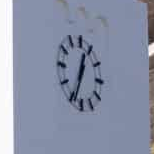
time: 12:33
